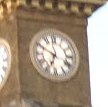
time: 6:49
